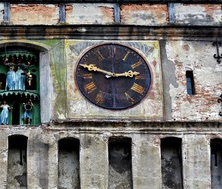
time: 2:48
